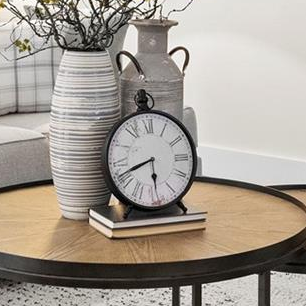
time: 5:41
